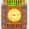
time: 9:14
